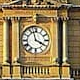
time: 3:57
